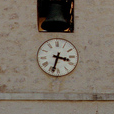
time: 3:33
